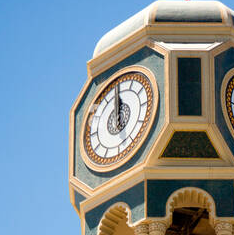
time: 11:58
